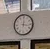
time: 12:16
